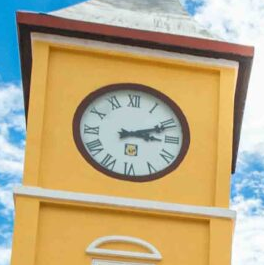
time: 3:11
